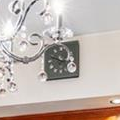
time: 2:48
